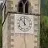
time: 11:53
